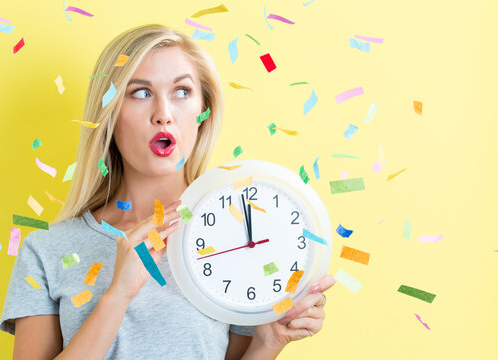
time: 10:58
